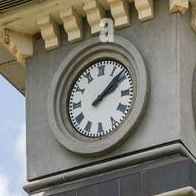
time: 2:08
